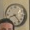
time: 8:23
